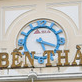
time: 5:18
